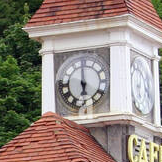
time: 5:59
